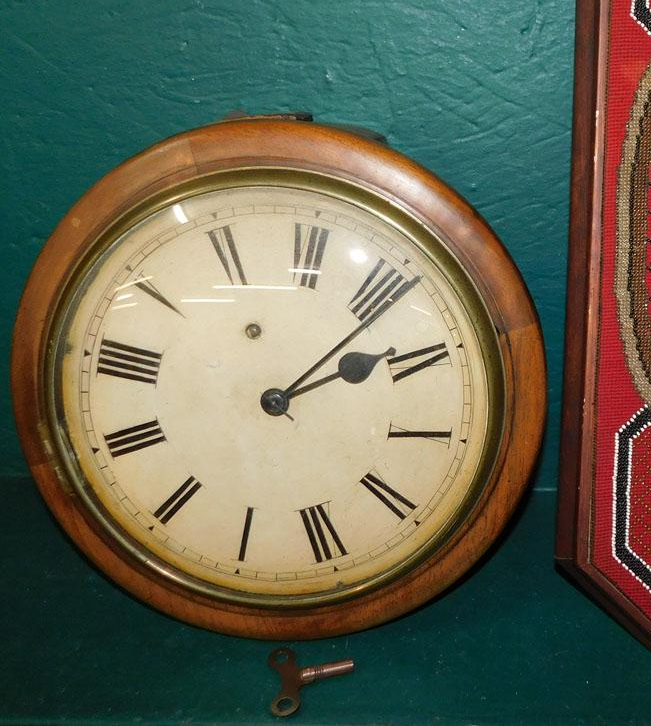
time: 2:06
